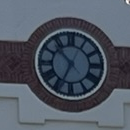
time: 10:34
